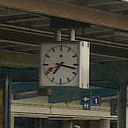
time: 7:17
